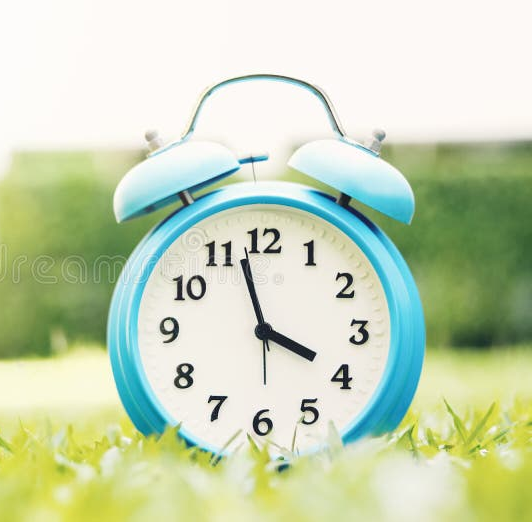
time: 3:57
